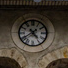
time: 4:39
